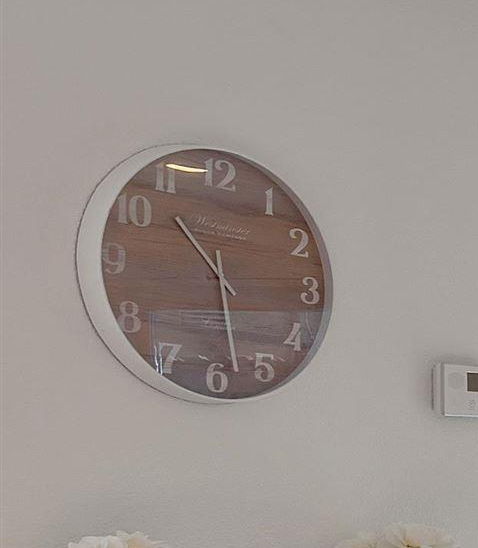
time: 10:28
